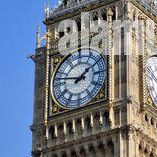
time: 1:47
